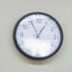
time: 12:55
